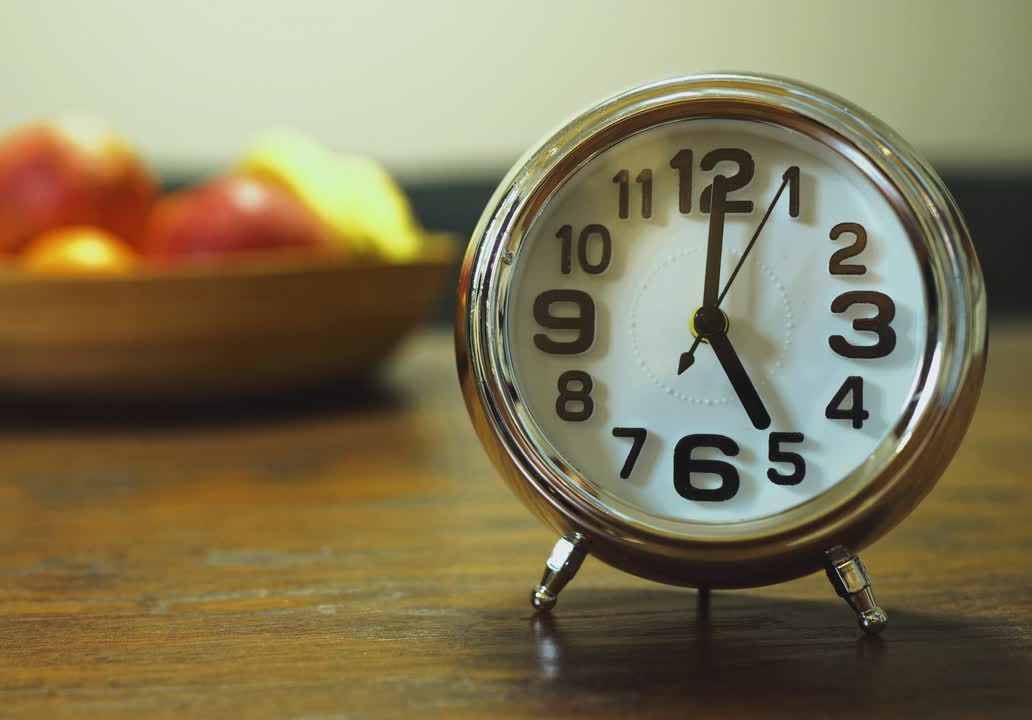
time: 5:00
